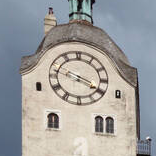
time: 3:48
